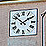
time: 1:51
